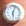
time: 6:03
